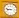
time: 8:47
